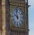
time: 9:57
